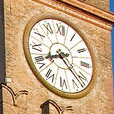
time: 8:22
